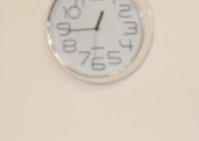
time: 12:44
